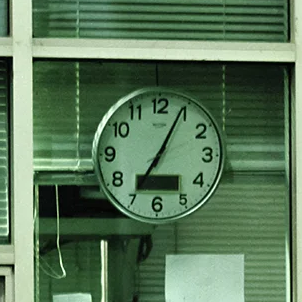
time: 7:04
